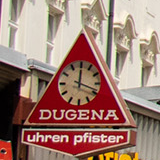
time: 12:18
